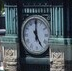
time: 5:00
